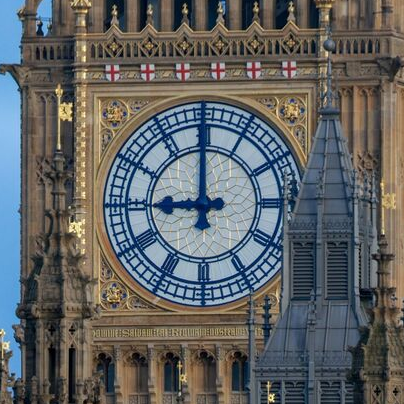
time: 8:59
